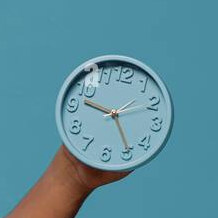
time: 9:24
